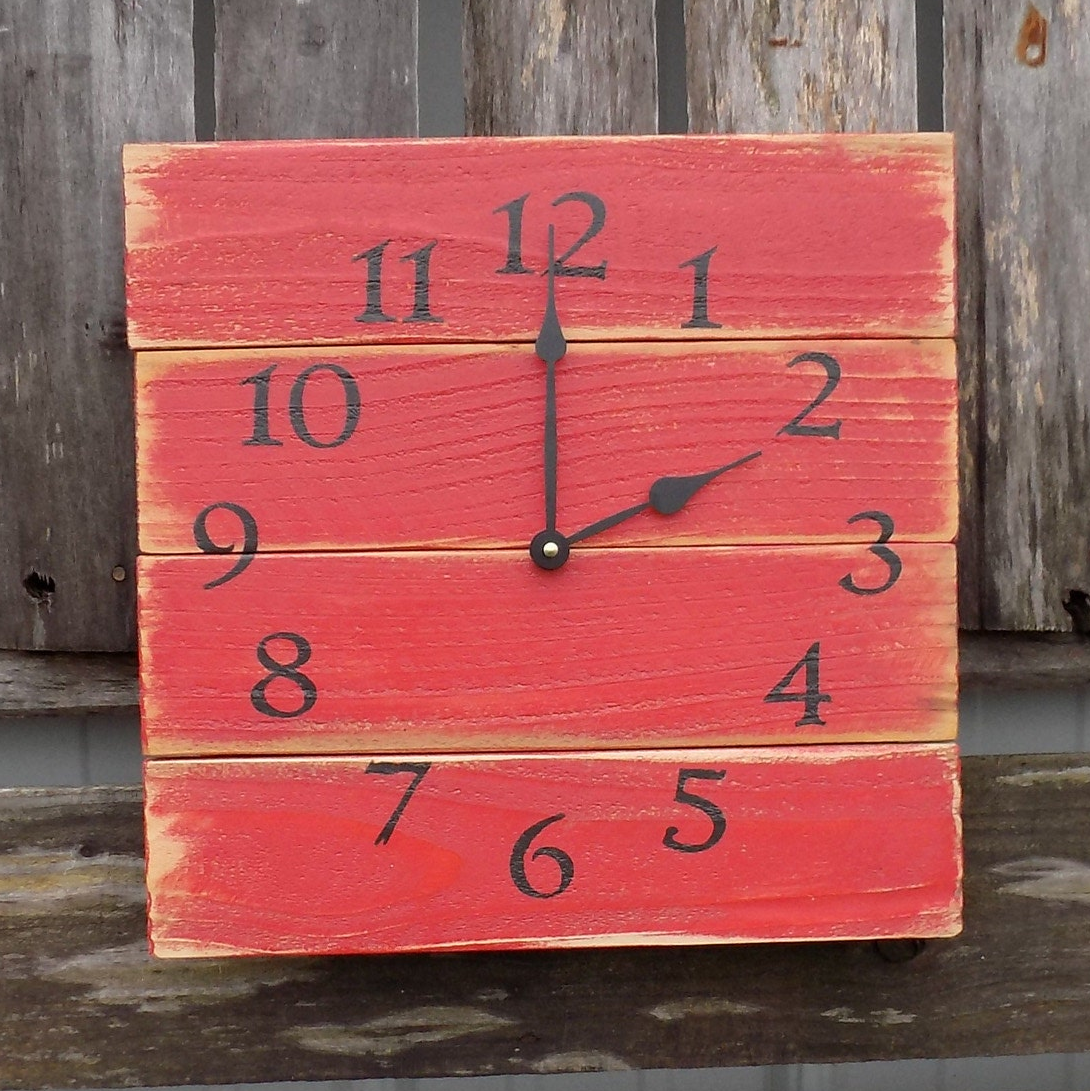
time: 2:00
